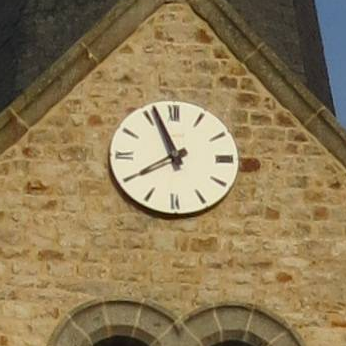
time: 7:56
